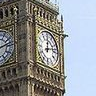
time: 12:12
